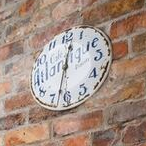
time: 12:32
